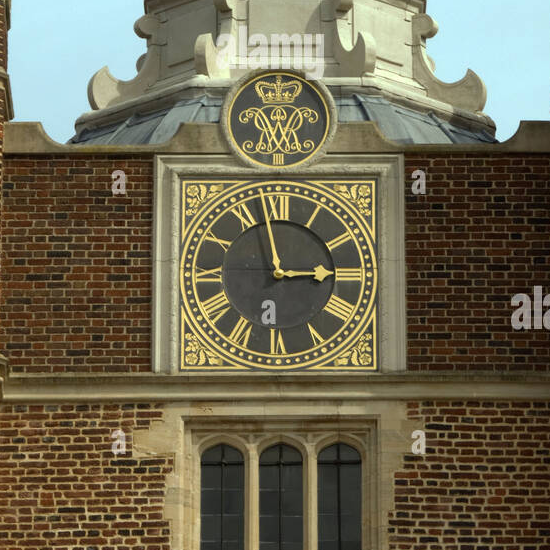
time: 2:58
